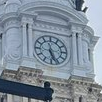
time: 5:26
